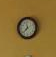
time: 11:37
